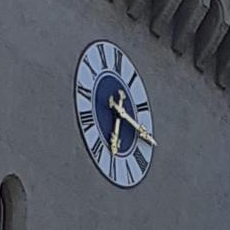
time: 6:15
